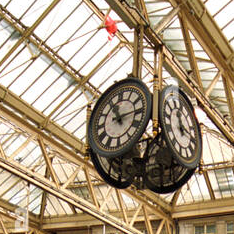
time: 11:14
